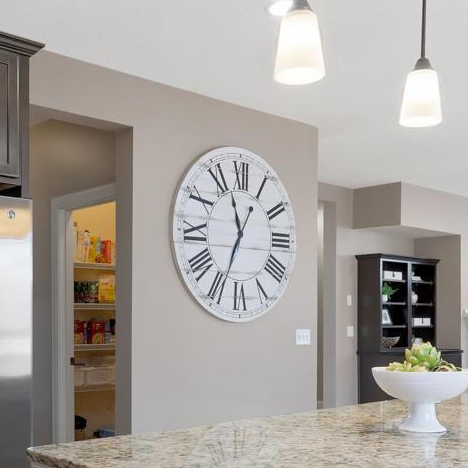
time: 11:34
